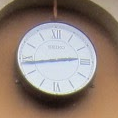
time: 2:43
